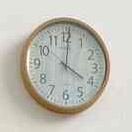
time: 4:00
